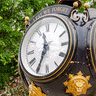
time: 11:34
